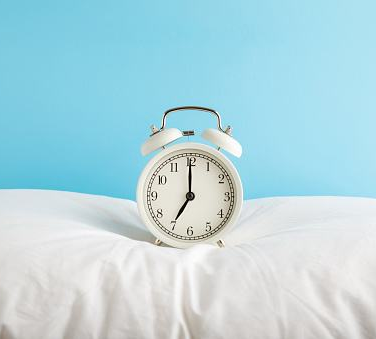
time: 7:00
